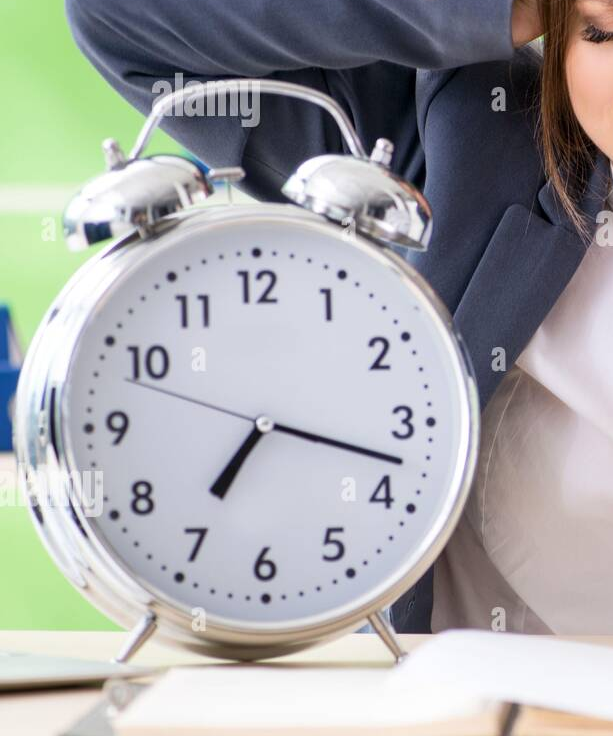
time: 7:17
